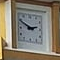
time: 2:49
